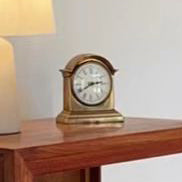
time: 8:14
